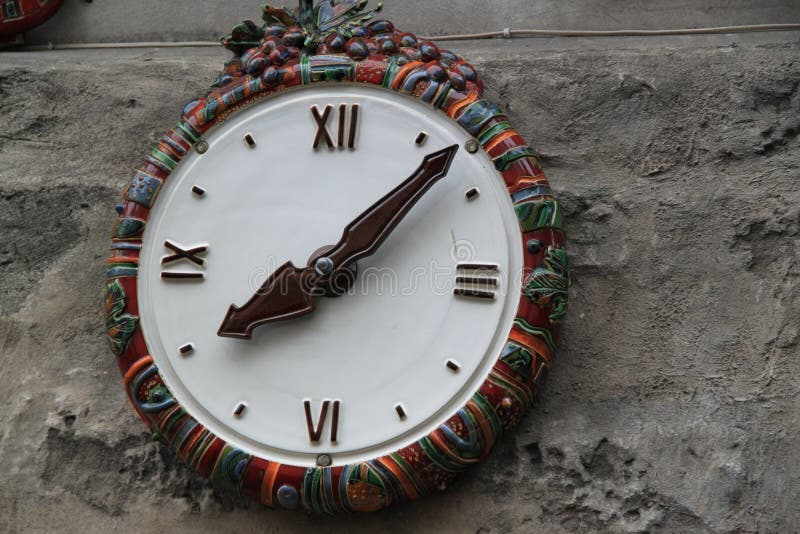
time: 8:07
